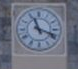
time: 11:18
